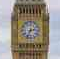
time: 2:34
